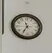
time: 11:35
